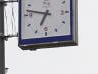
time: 6:47
